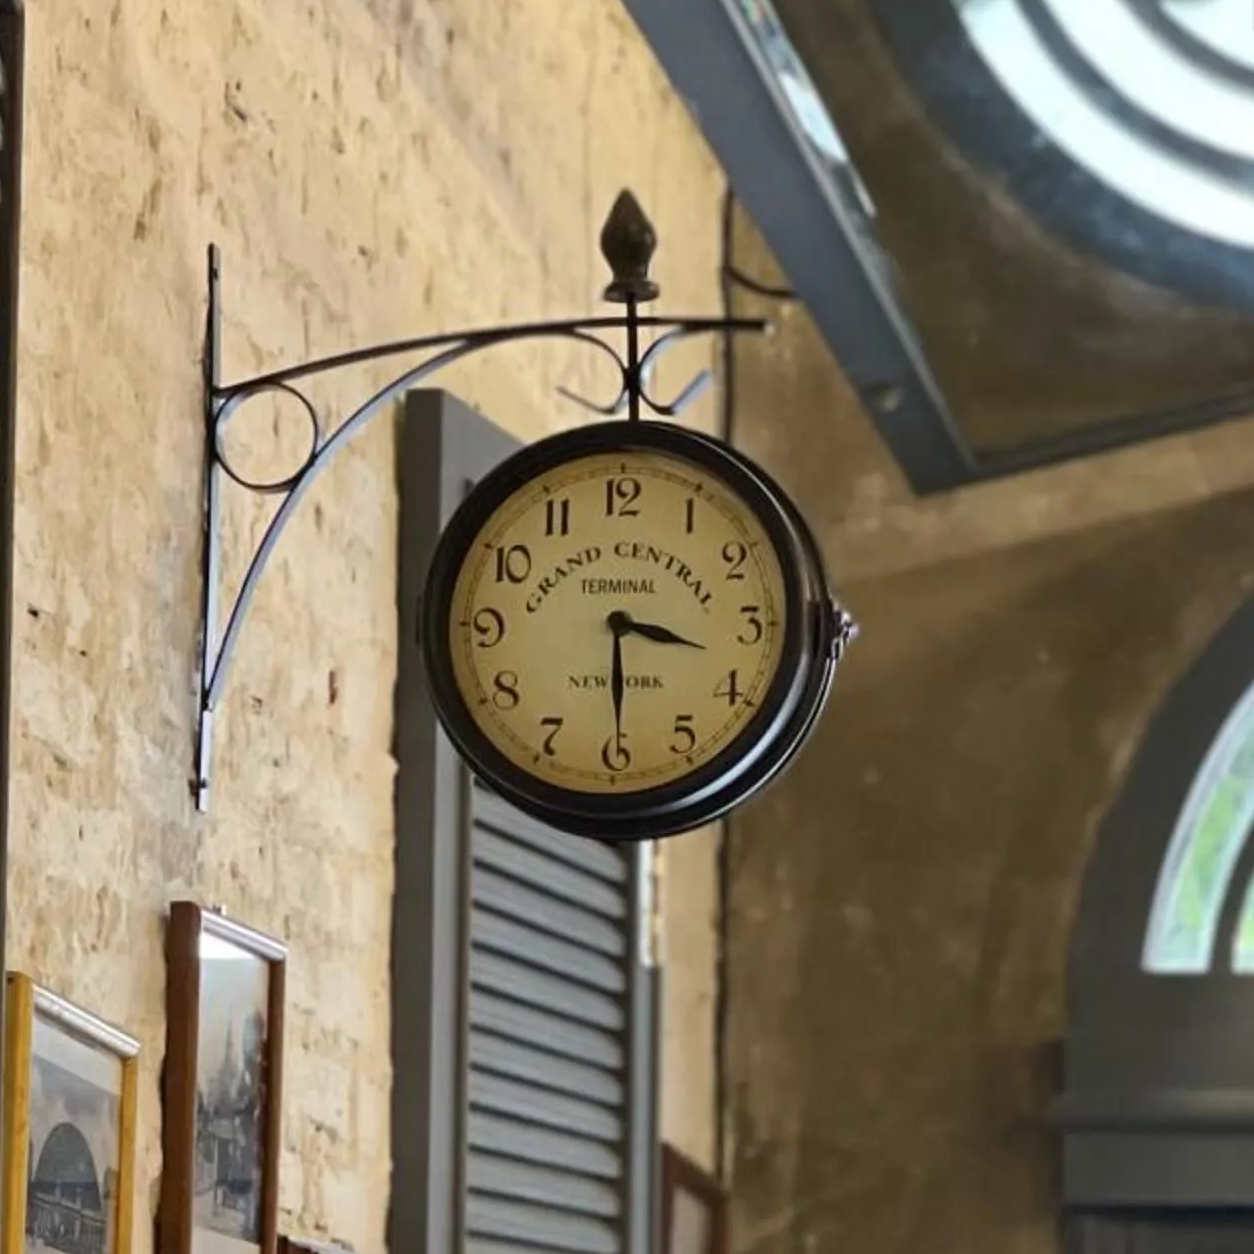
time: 3:29
